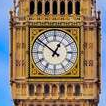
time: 12:51
